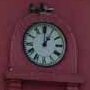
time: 12:05
